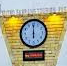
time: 5:59
